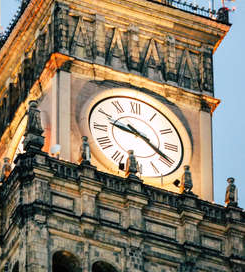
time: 9:20
